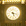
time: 5:17
